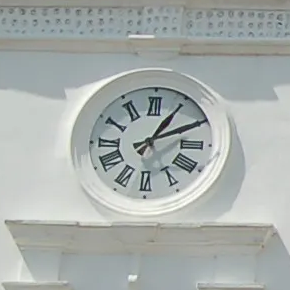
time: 1:10
